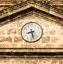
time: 8:27
